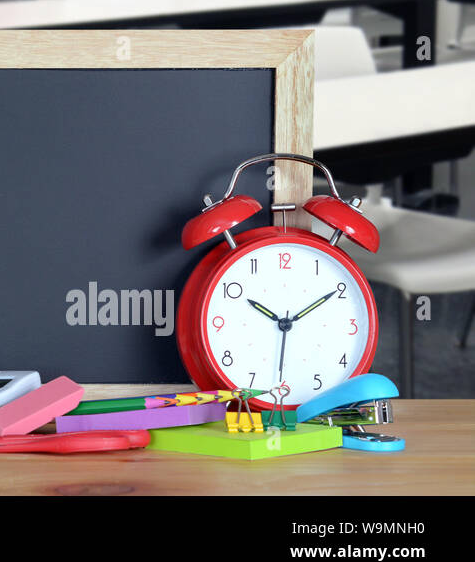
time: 10:09
